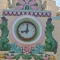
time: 9:01
